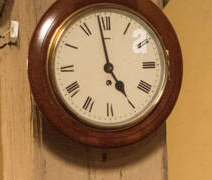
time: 4:58
